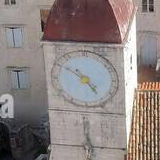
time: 4:50
